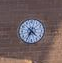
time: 4:35
